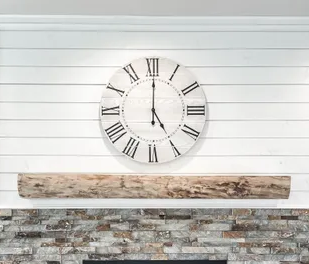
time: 5:00
